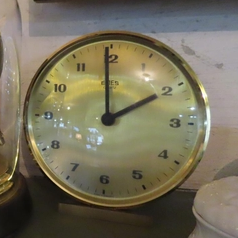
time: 1:59
